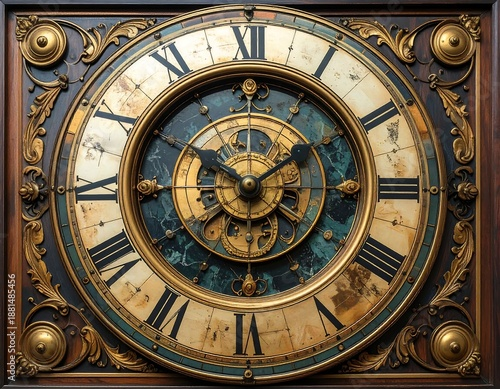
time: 1:50
